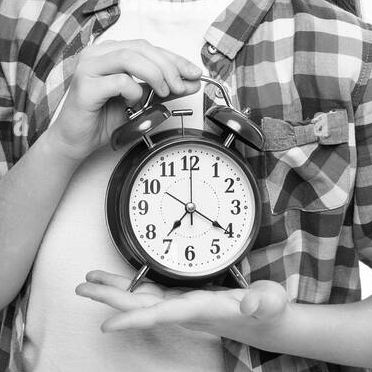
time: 7:20
